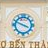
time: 3:48
